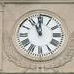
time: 10:59
